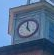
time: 4:59
